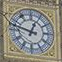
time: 12:47
